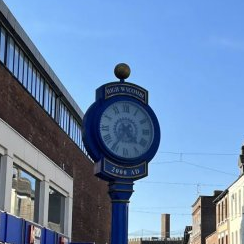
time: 4:35
